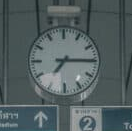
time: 7:15
